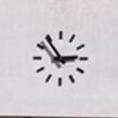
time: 2:54
